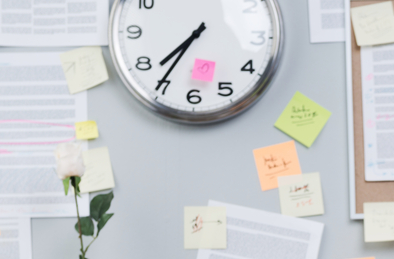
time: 7:35
